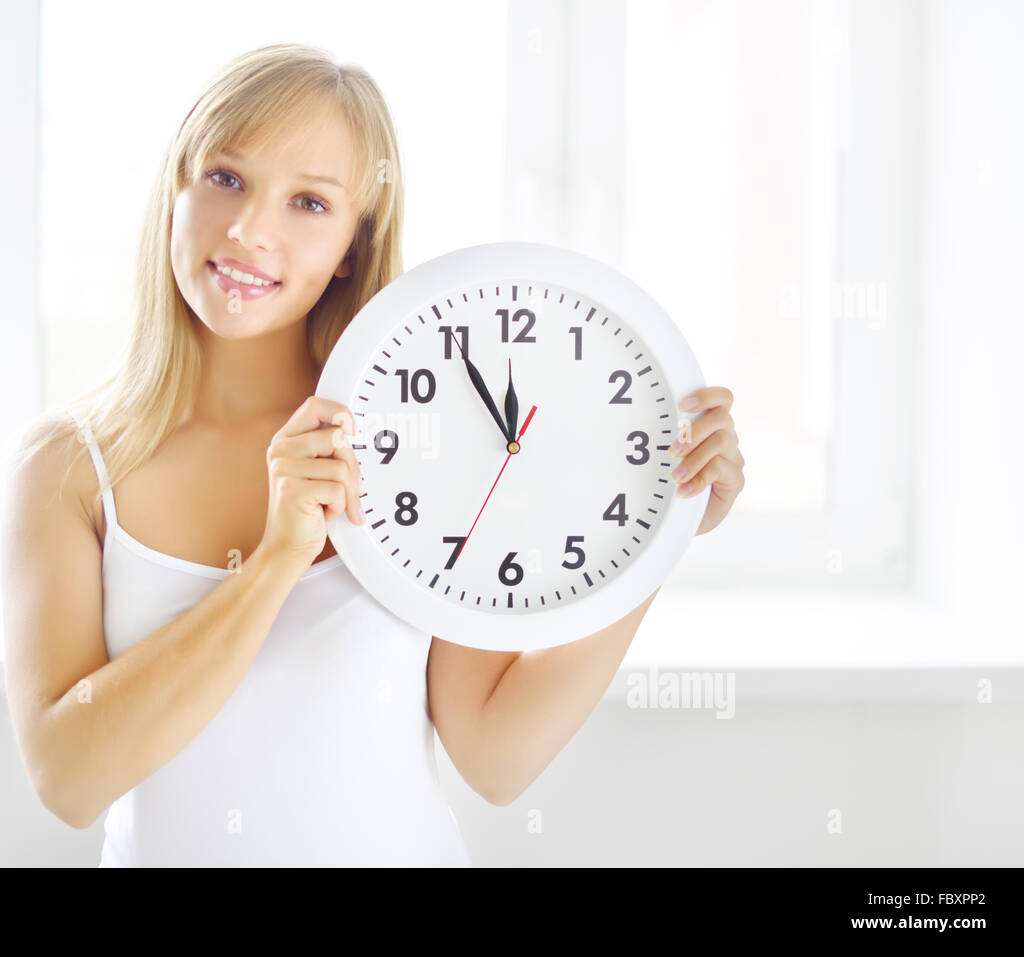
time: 11:54
